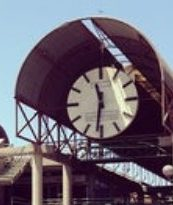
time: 11:31
